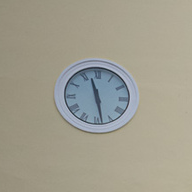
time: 11:28
